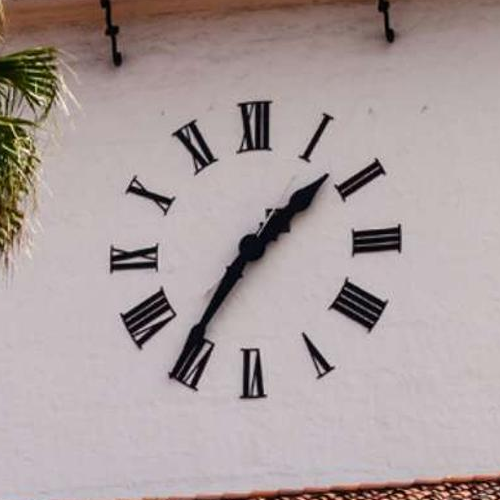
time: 1:35
